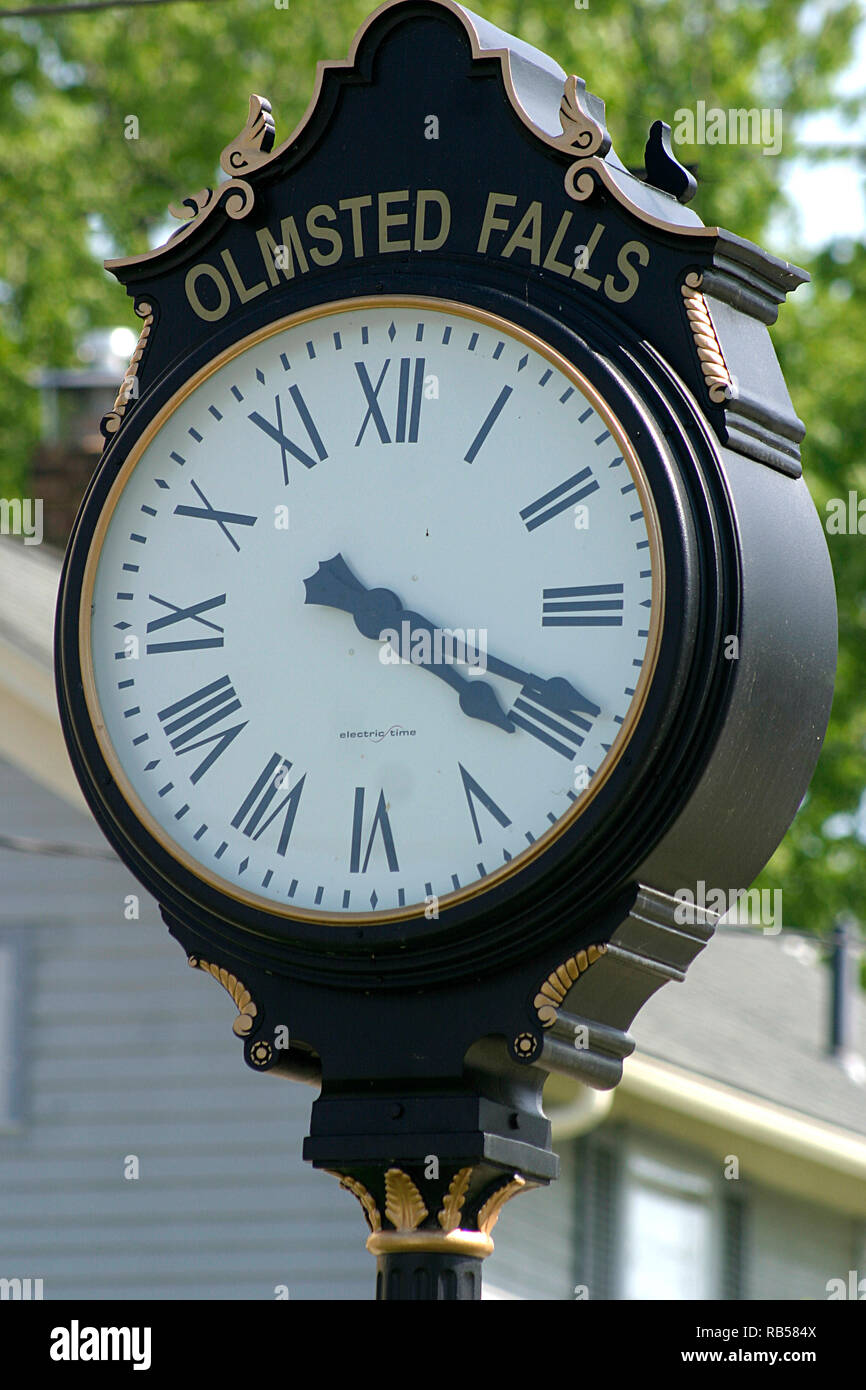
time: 4:19
